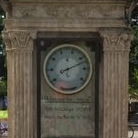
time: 8:11
